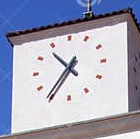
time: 10:36
